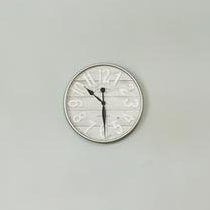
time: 10:29
